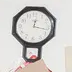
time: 12:17
